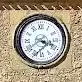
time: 3:39
